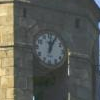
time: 12:04
